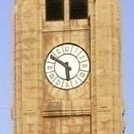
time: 5:49
